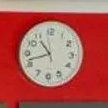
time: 10:42
